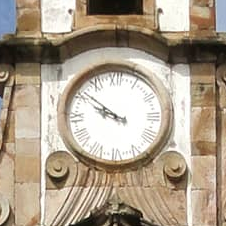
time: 9:51
